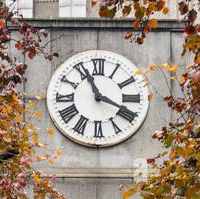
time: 11:18
